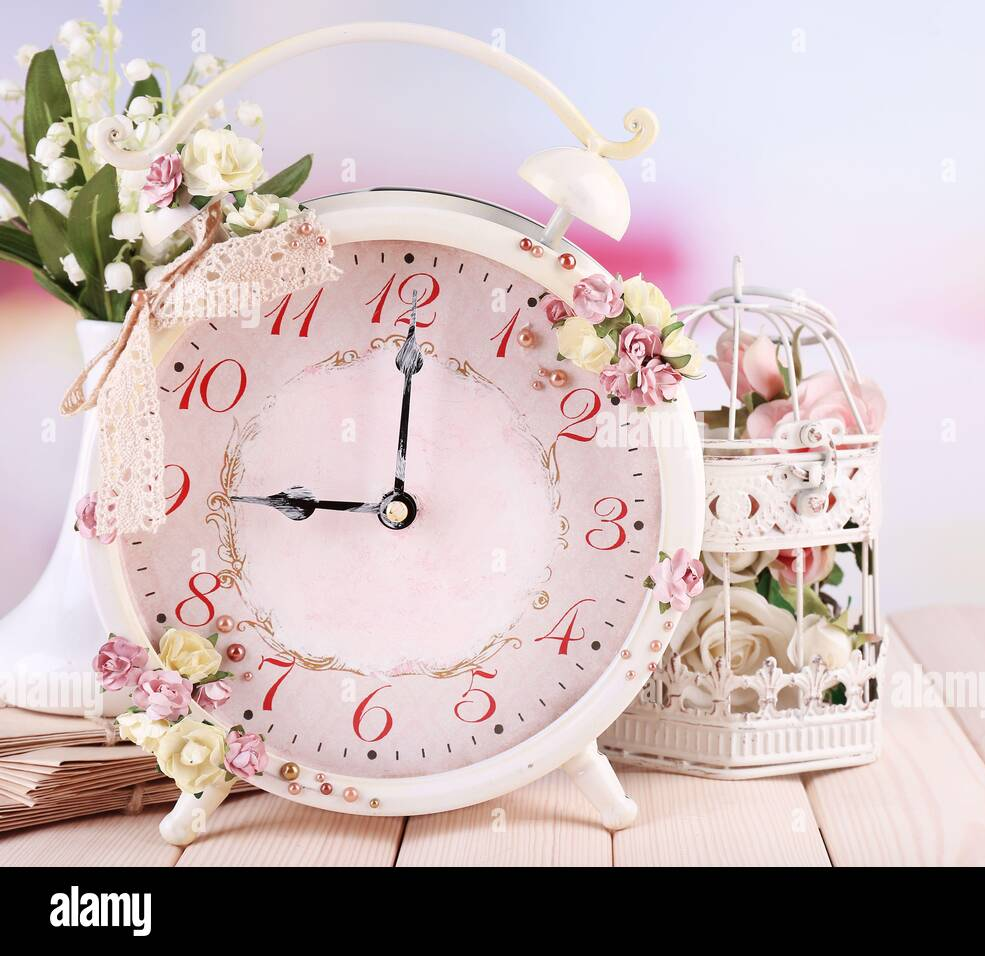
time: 9:00
